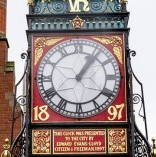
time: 1:06
